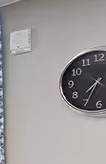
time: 7:34
